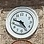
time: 4:48
